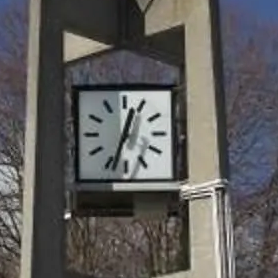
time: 12:33
